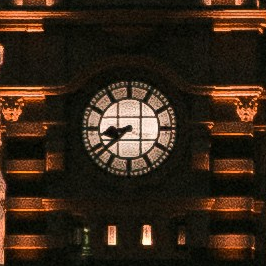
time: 8:38
